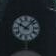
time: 10:07
